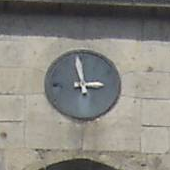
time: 2:58
